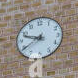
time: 9:39
